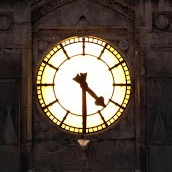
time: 4:29
